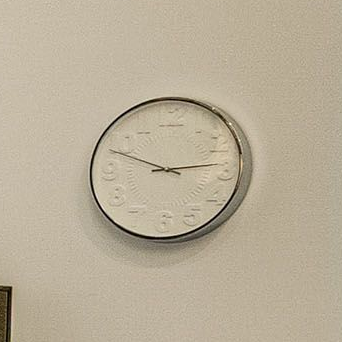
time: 2:48
